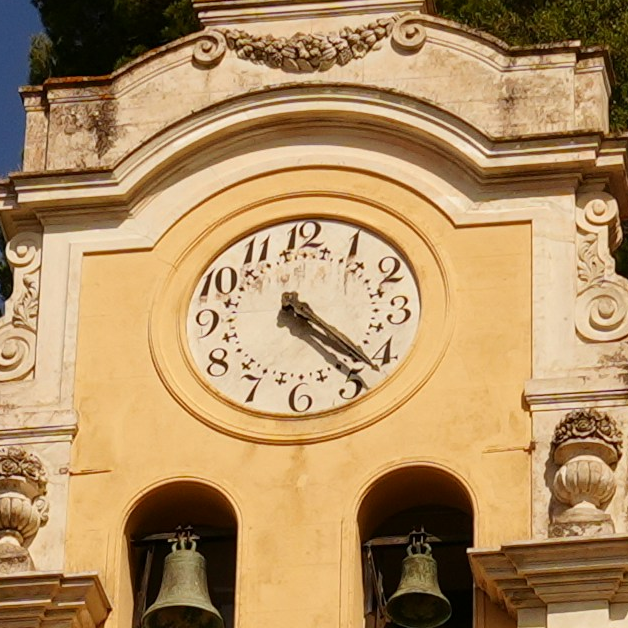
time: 4:22
